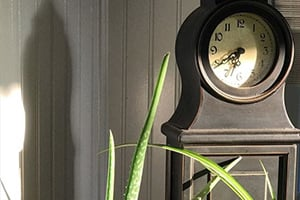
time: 6:40
